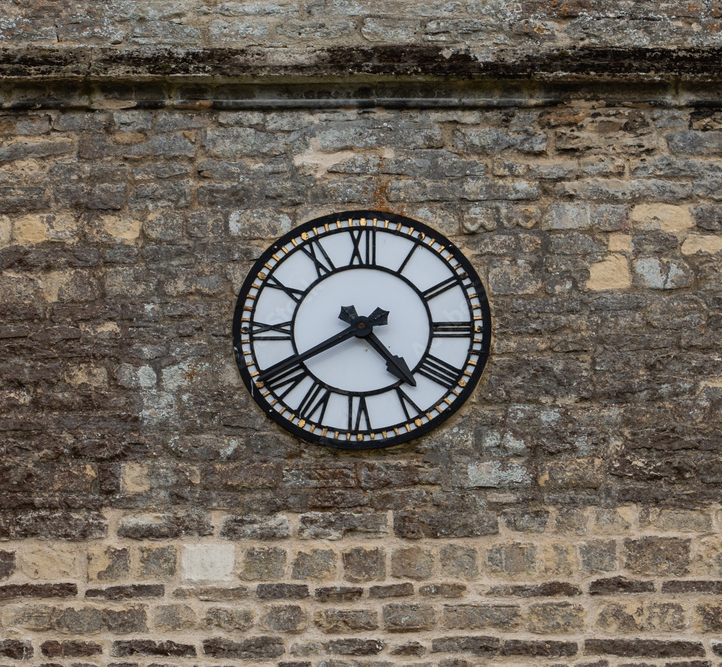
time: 4:40
